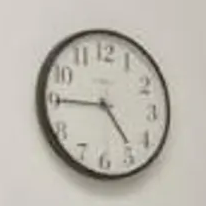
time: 4:45
